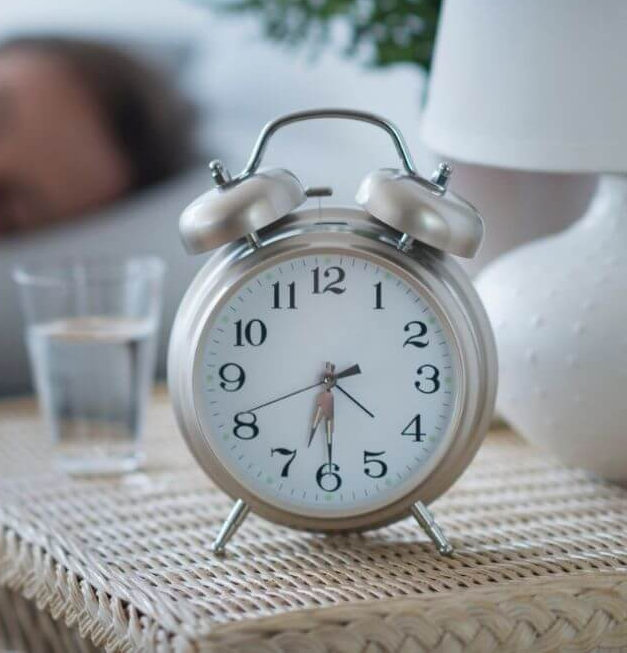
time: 6:29
